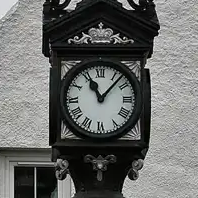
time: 11:07
